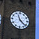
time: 11:22
